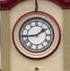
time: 1:44
